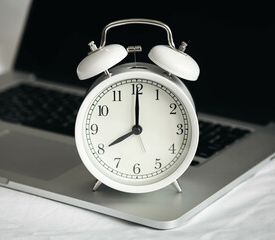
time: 8:00
